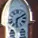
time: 6:10
